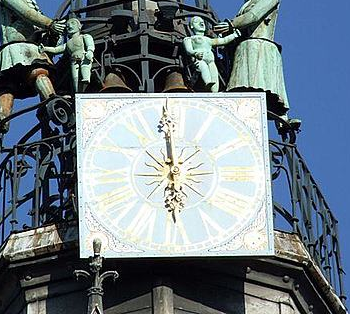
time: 5:59
